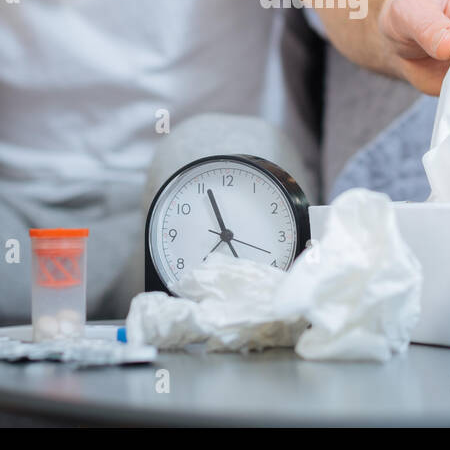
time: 10:56
